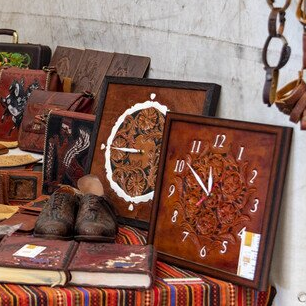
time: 11:51
